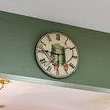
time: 5:46
